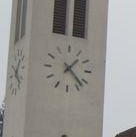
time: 1:22
